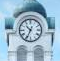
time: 10:34
